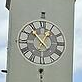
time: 12:53
